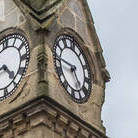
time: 4:45
